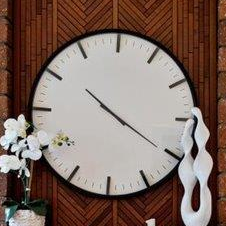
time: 10:20
